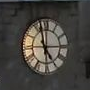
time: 4:57
